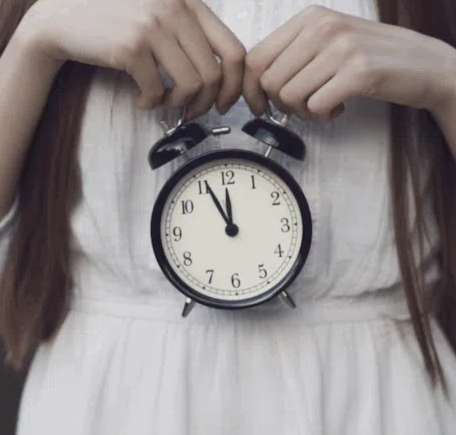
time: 11:55
